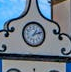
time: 1:12
